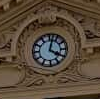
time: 4:02
